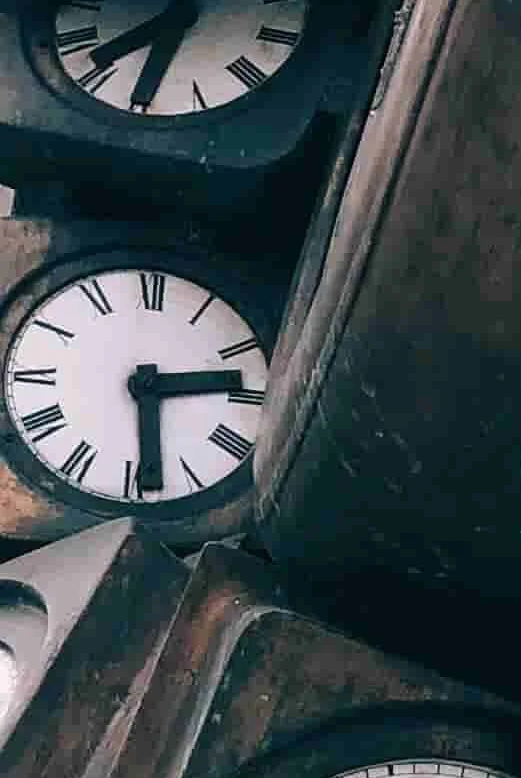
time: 2:29
